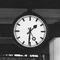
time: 1:30
